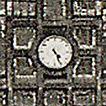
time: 4:26
